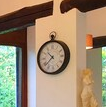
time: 10:38
